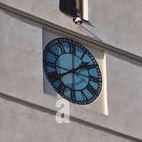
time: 1:39
